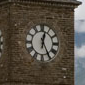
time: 12:25
